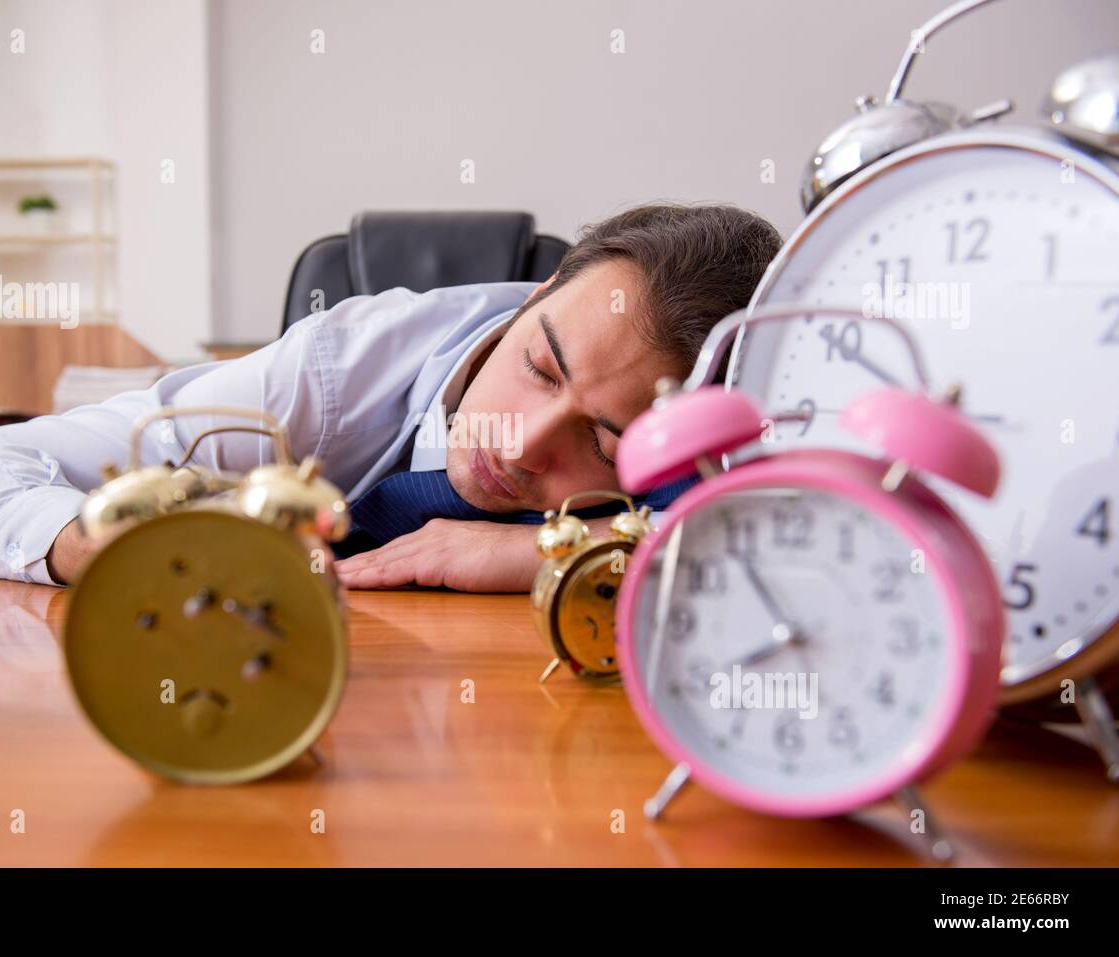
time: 7:54
